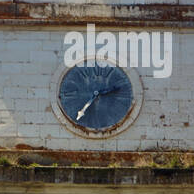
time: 2:36
